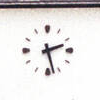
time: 2:27
